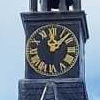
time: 12:07
